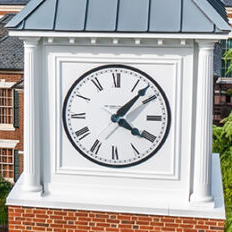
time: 4:07
